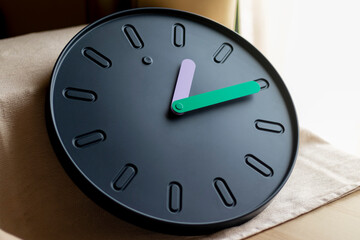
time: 12:10
